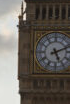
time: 5:11
